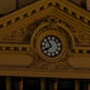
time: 7:54
